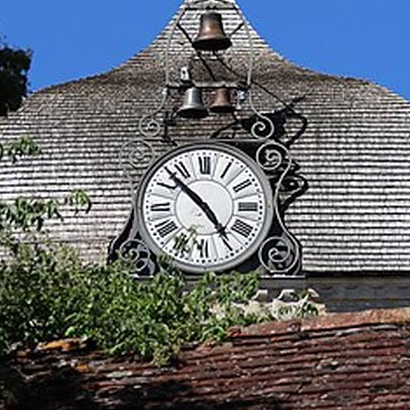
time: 4:52
